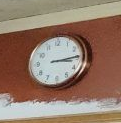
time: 3:14
